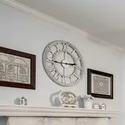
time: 2:45
